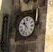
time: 10:34
